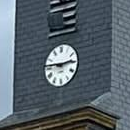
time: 2:46
